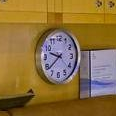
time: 9:38
